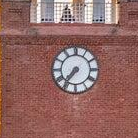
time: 7:36
